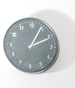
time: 2:04
